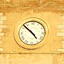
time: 4:52
